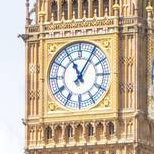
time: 11:05
